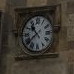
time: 10:38
